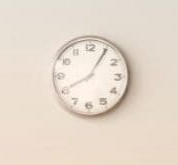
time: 8:05
